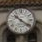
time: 10:21
